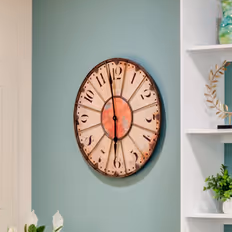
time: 5:58
